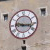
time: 9:16
